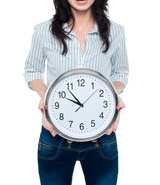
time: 9:53
